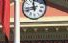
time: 11:42
